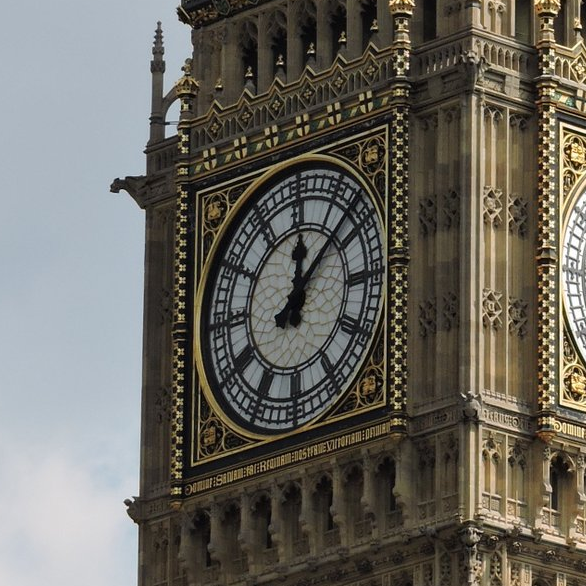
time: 12:07
